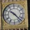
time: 10:22
